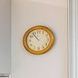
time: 10:53
